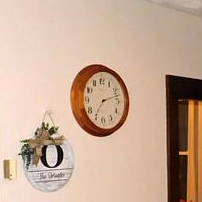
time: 7:12
